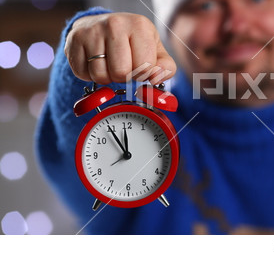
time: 11:54
